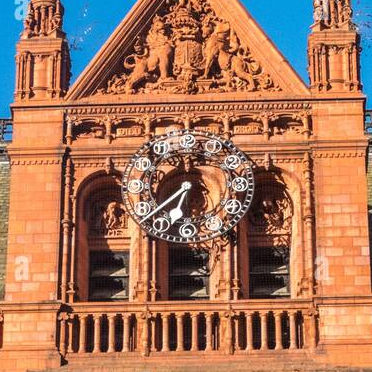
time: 6:38
